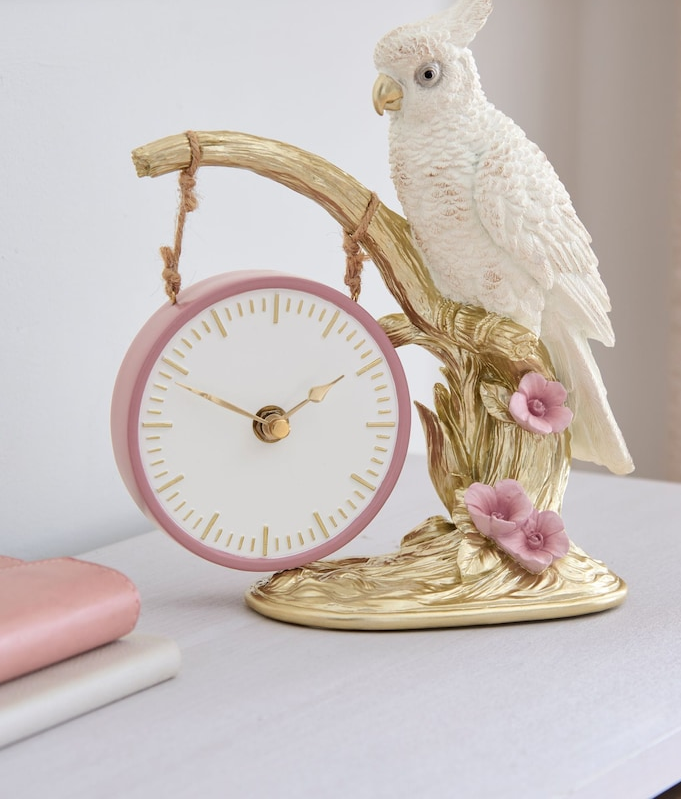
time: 1:49
